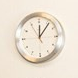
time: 12:06
